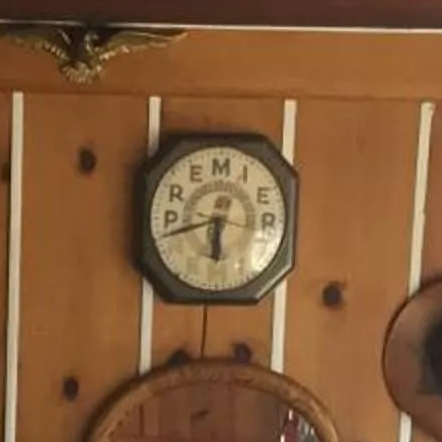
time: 5:42
